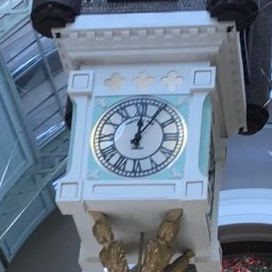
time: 12:05
